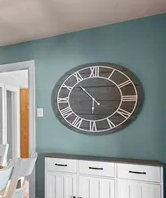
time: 5:53
